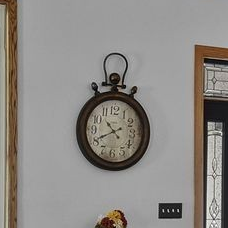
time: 10:40
